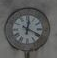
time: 12:19
